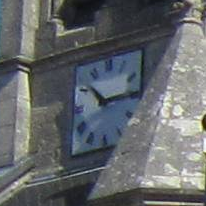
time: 10:14
